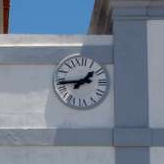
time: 1:43
